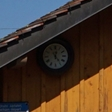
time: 12:24
